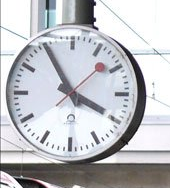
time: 3:54
